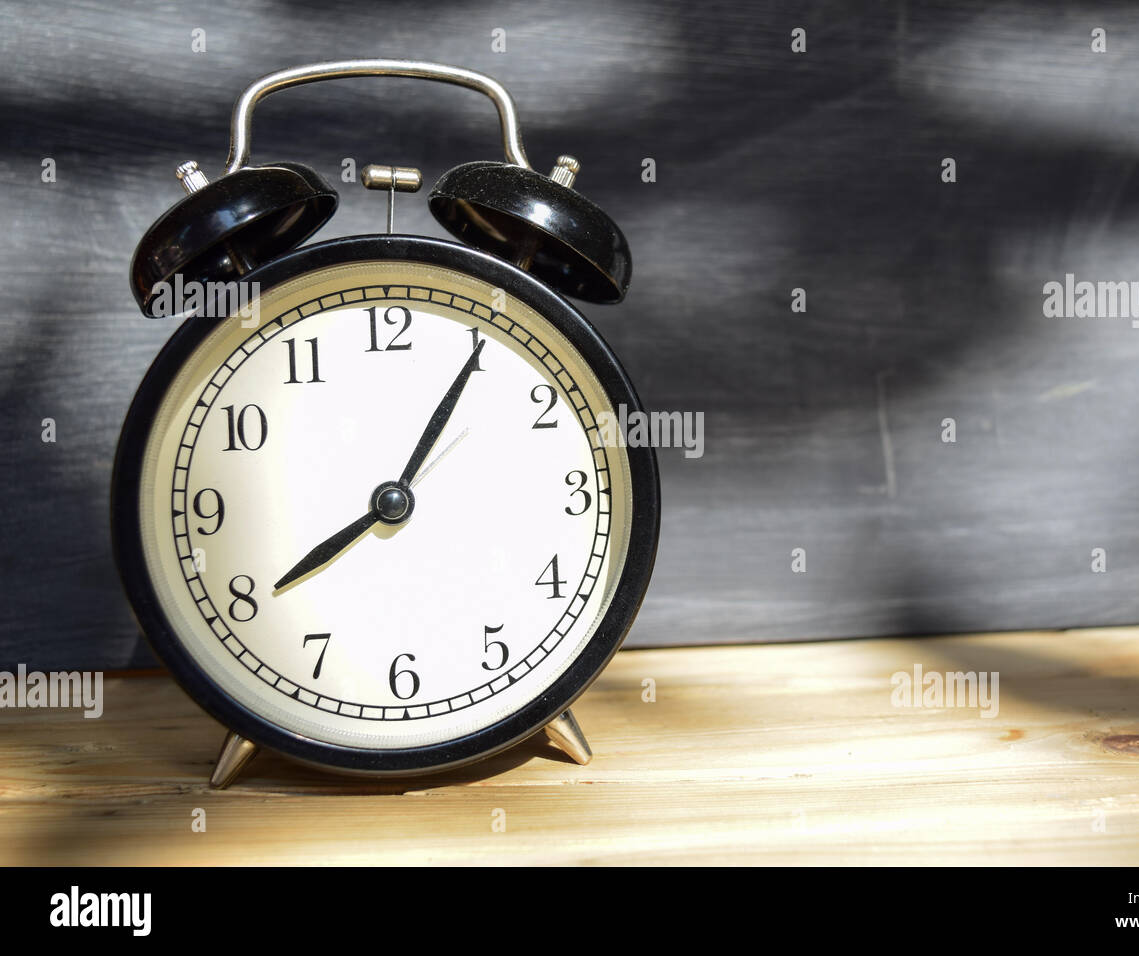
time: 8:05
